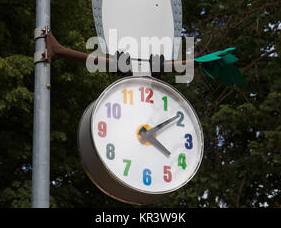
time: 4:09
